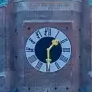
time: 1:30
